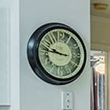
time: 9:47
